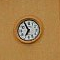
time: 6:55
